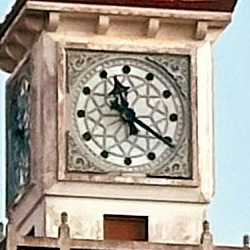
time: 11:20
